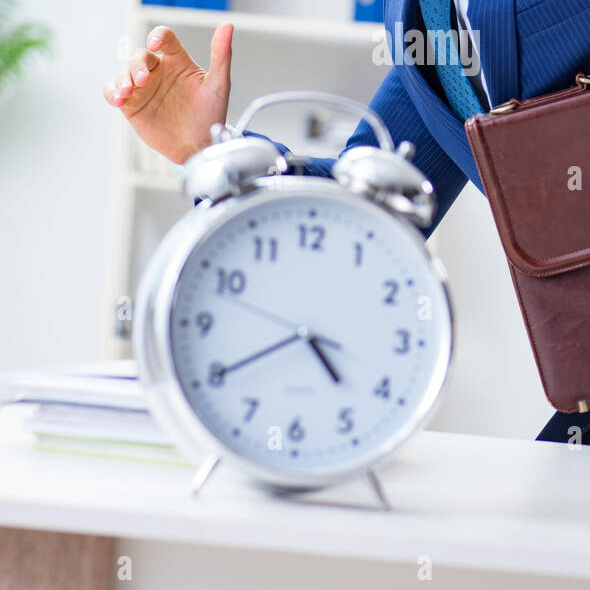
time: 4:40
